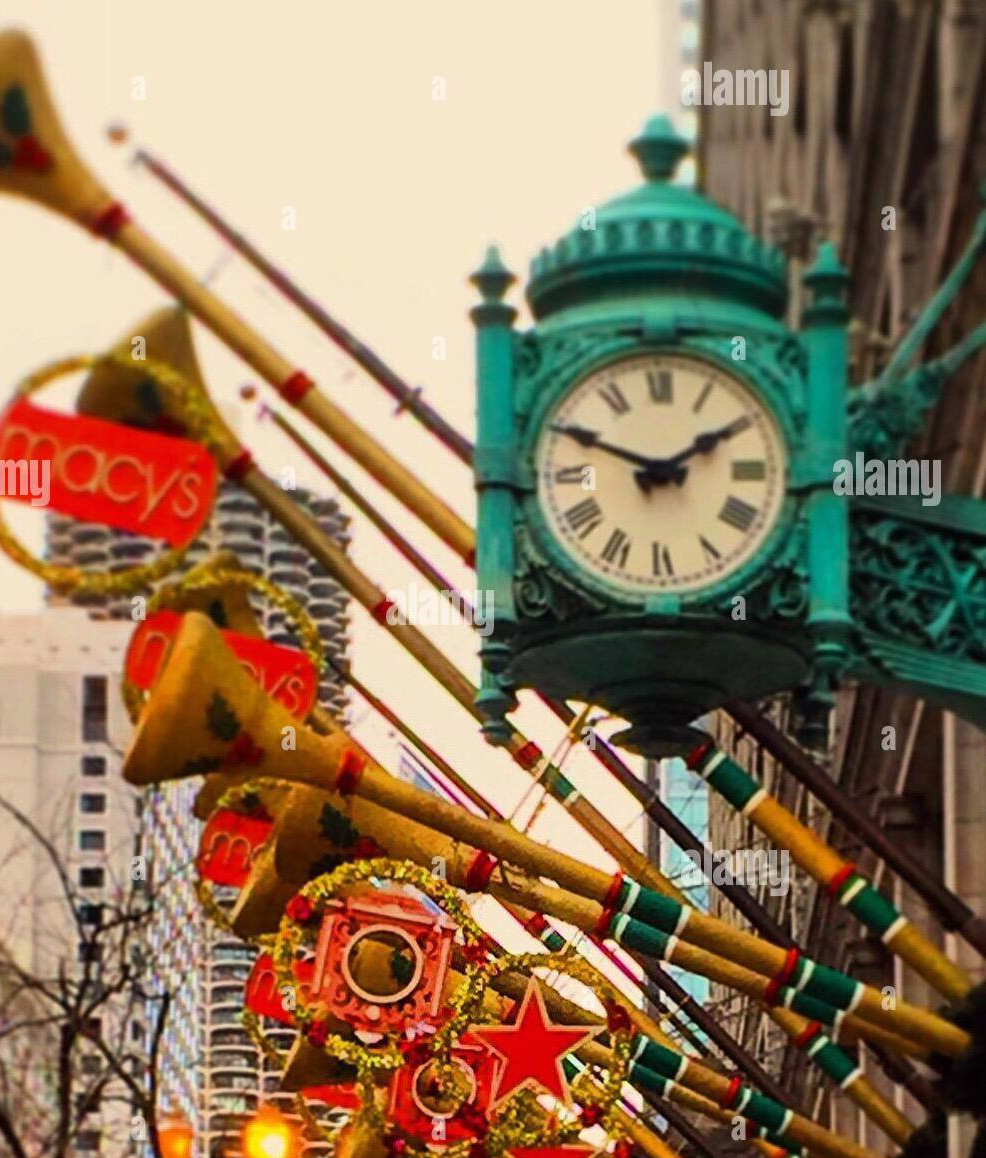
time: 1:50
